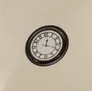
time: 12:18
